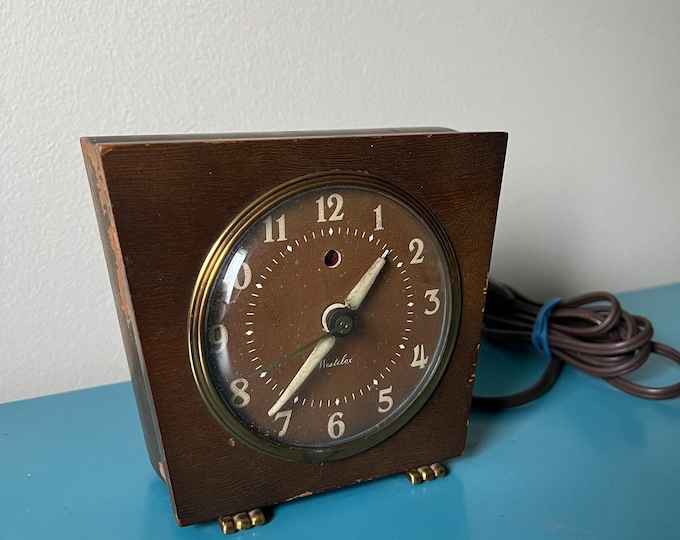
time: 1:36
